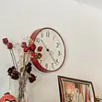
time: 10:22
